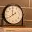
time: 11:38
